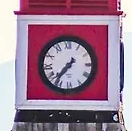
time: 7:36
